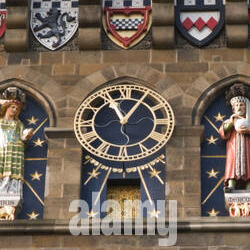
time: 11:05
